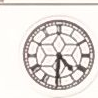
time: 4:31
